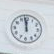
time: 11:58
